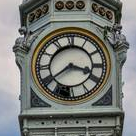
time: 3:39
